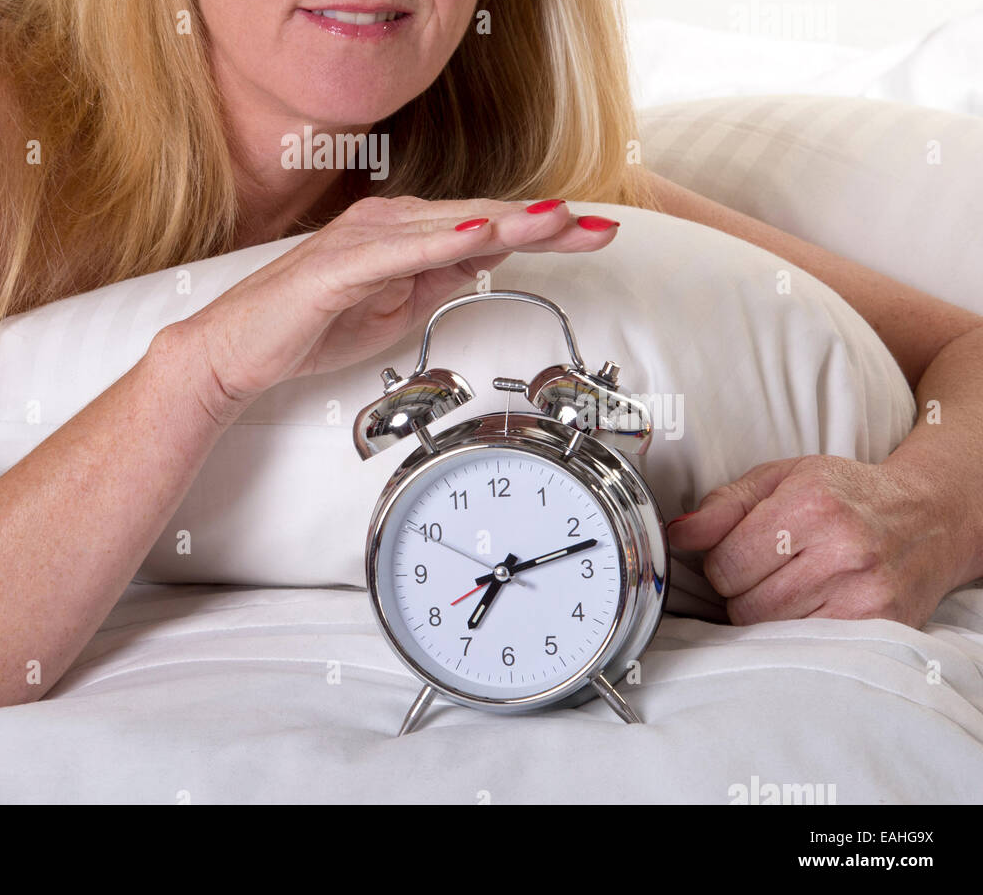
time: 7:12
